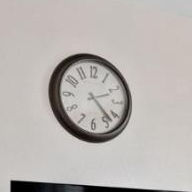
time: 2:22
